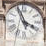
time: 3:56
